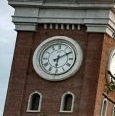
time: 6:10
